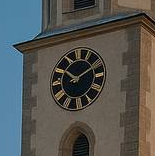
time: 10:10
